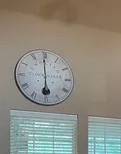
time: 5:59
